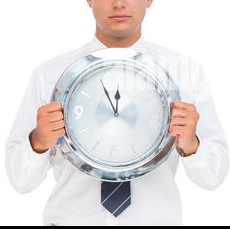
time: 11:55
